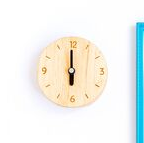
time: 5:59
